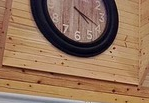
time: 4:19
